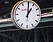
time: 1:00
